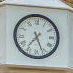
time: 7:26
